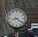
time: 8:21
